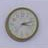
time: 3:12
